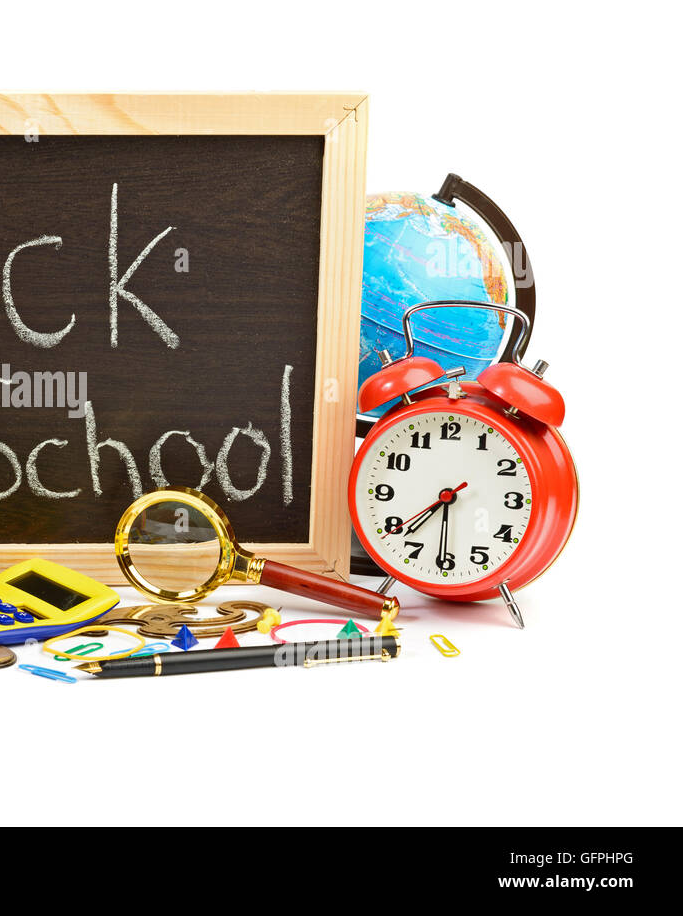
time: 7:30
